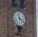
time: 11:21
